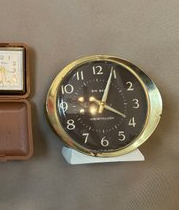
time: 4:03
